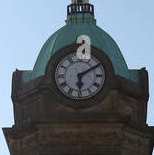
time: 6:10
